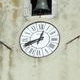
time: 12:41
